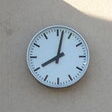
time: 8:01
